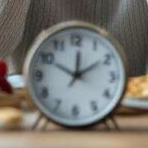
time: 12:09
